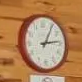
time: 1:13
